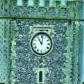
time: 11:01
